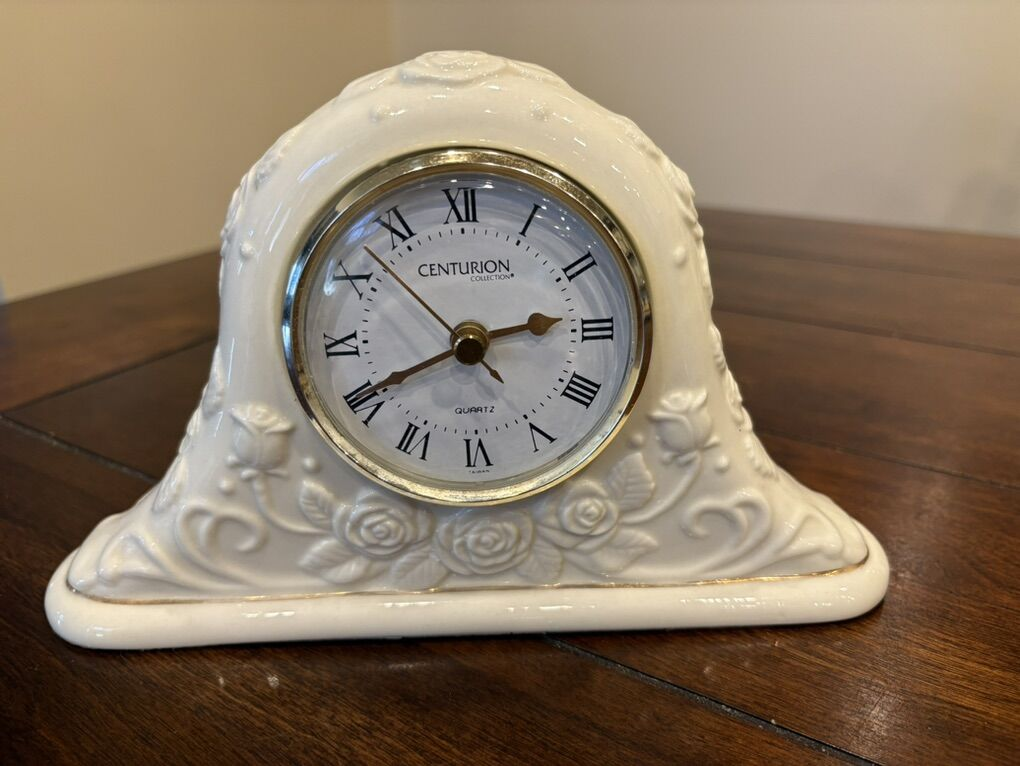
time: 2:40
